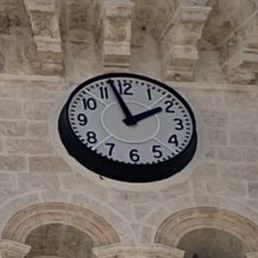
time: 1:57
